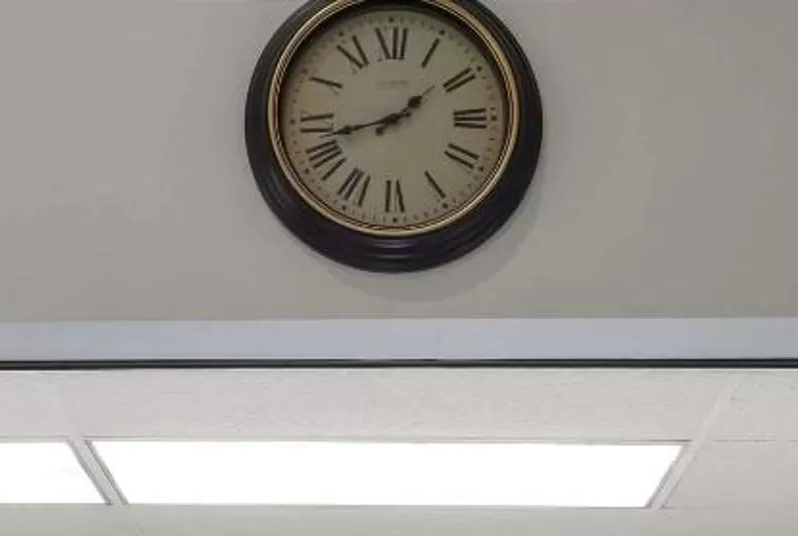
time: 1:42
